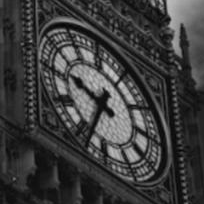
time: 9:34
